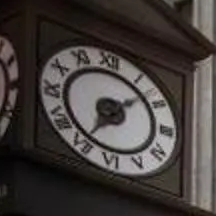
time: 7:08
